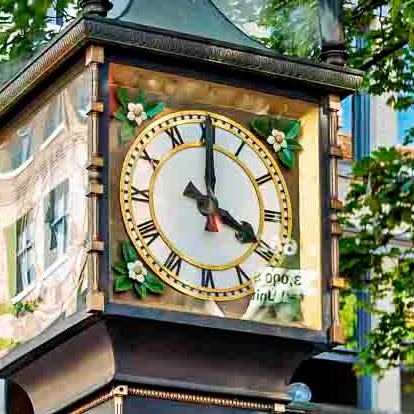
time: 4:00
